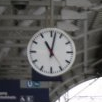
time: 11:01
